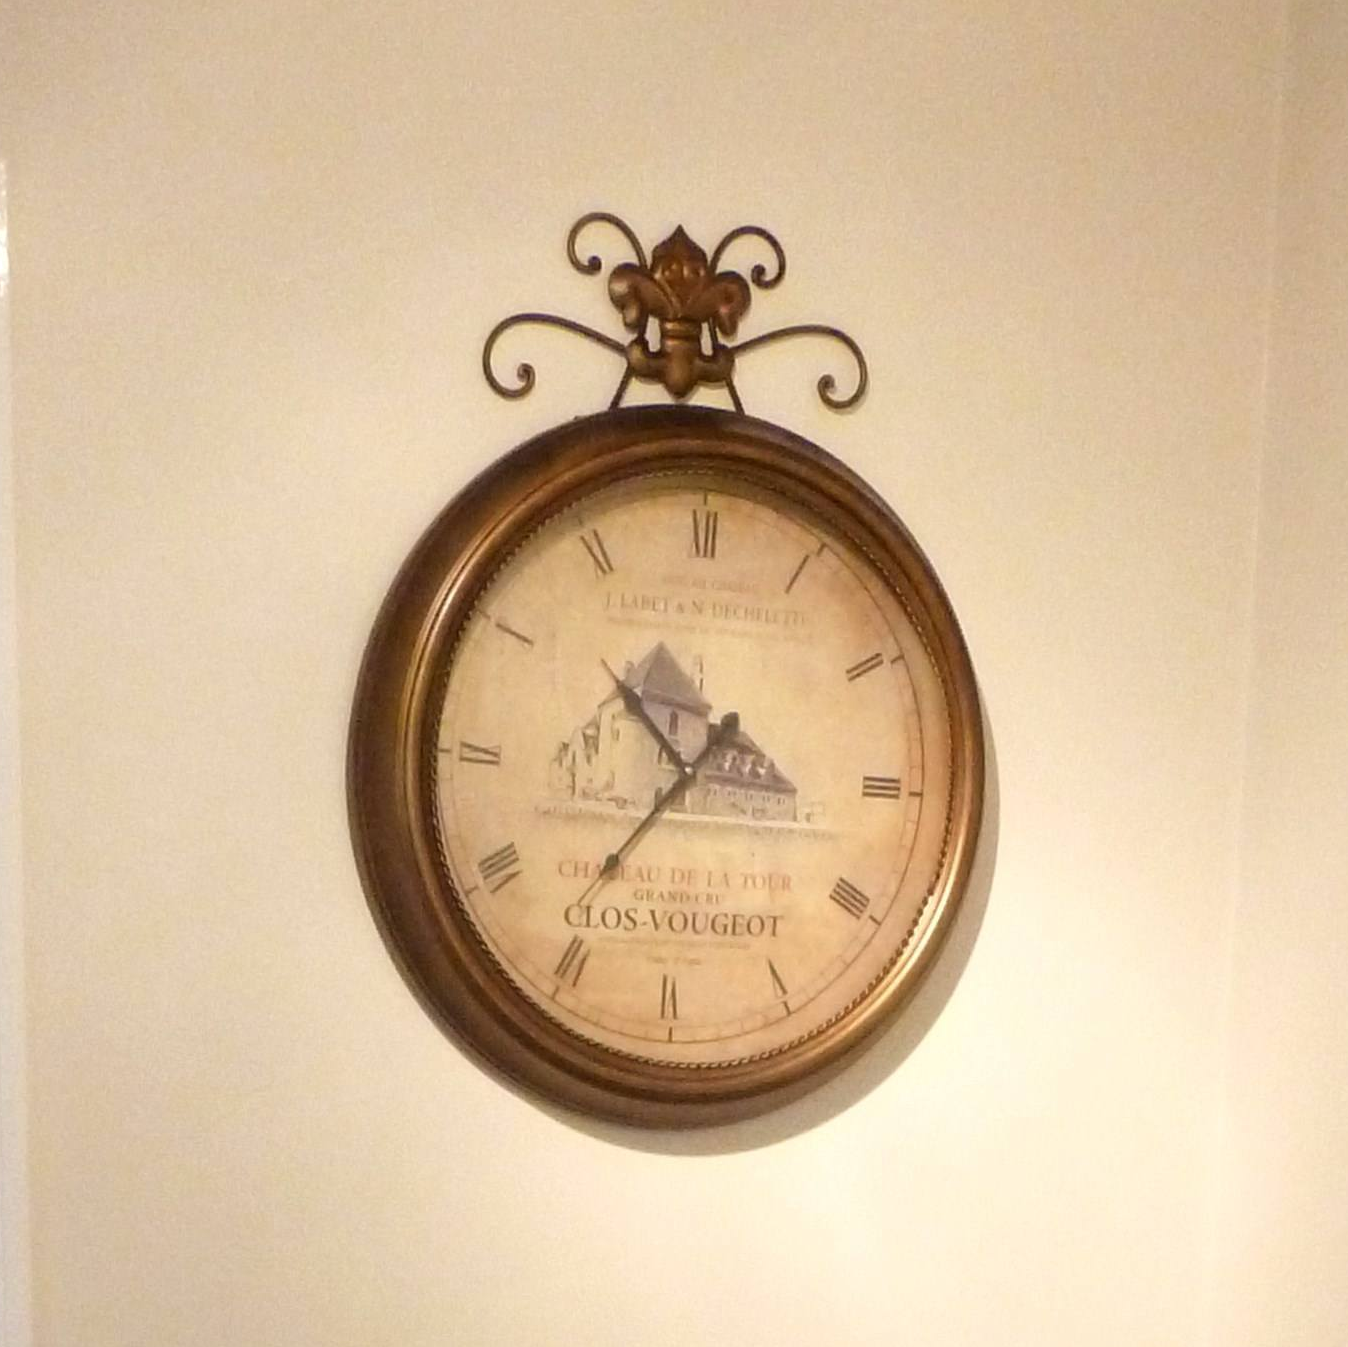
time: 10:36
